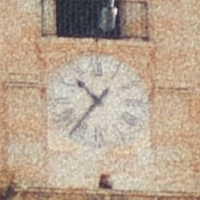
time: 10:37
